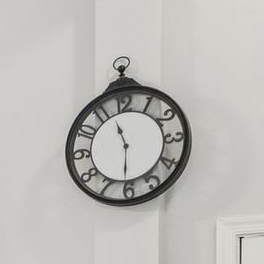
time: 11:30
